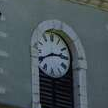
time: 2:40
